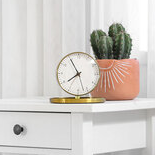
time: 7:55
